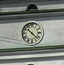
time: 10:22
